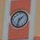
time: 1:32
